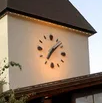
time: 7:08
